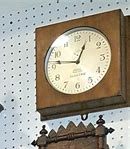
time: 12:46
